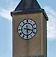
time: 3:29
